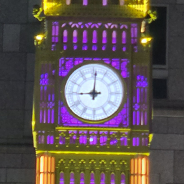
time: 9:00
